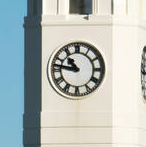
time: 10:46
